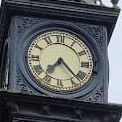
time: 7:22
